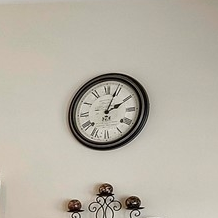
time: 2:03
